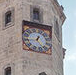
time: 12:23
